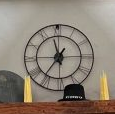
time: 11:36
